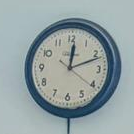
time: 12:11
